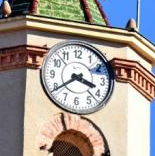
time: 3:39
